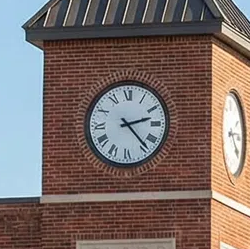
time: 2:23
